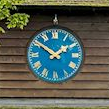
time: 1:50
